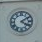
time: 4:09
